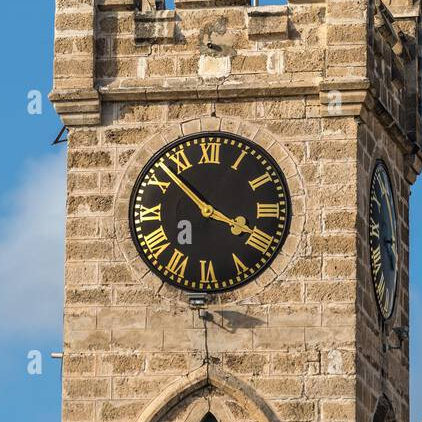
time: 3:52
